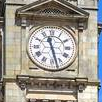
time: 11:27
